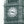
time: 3:46
